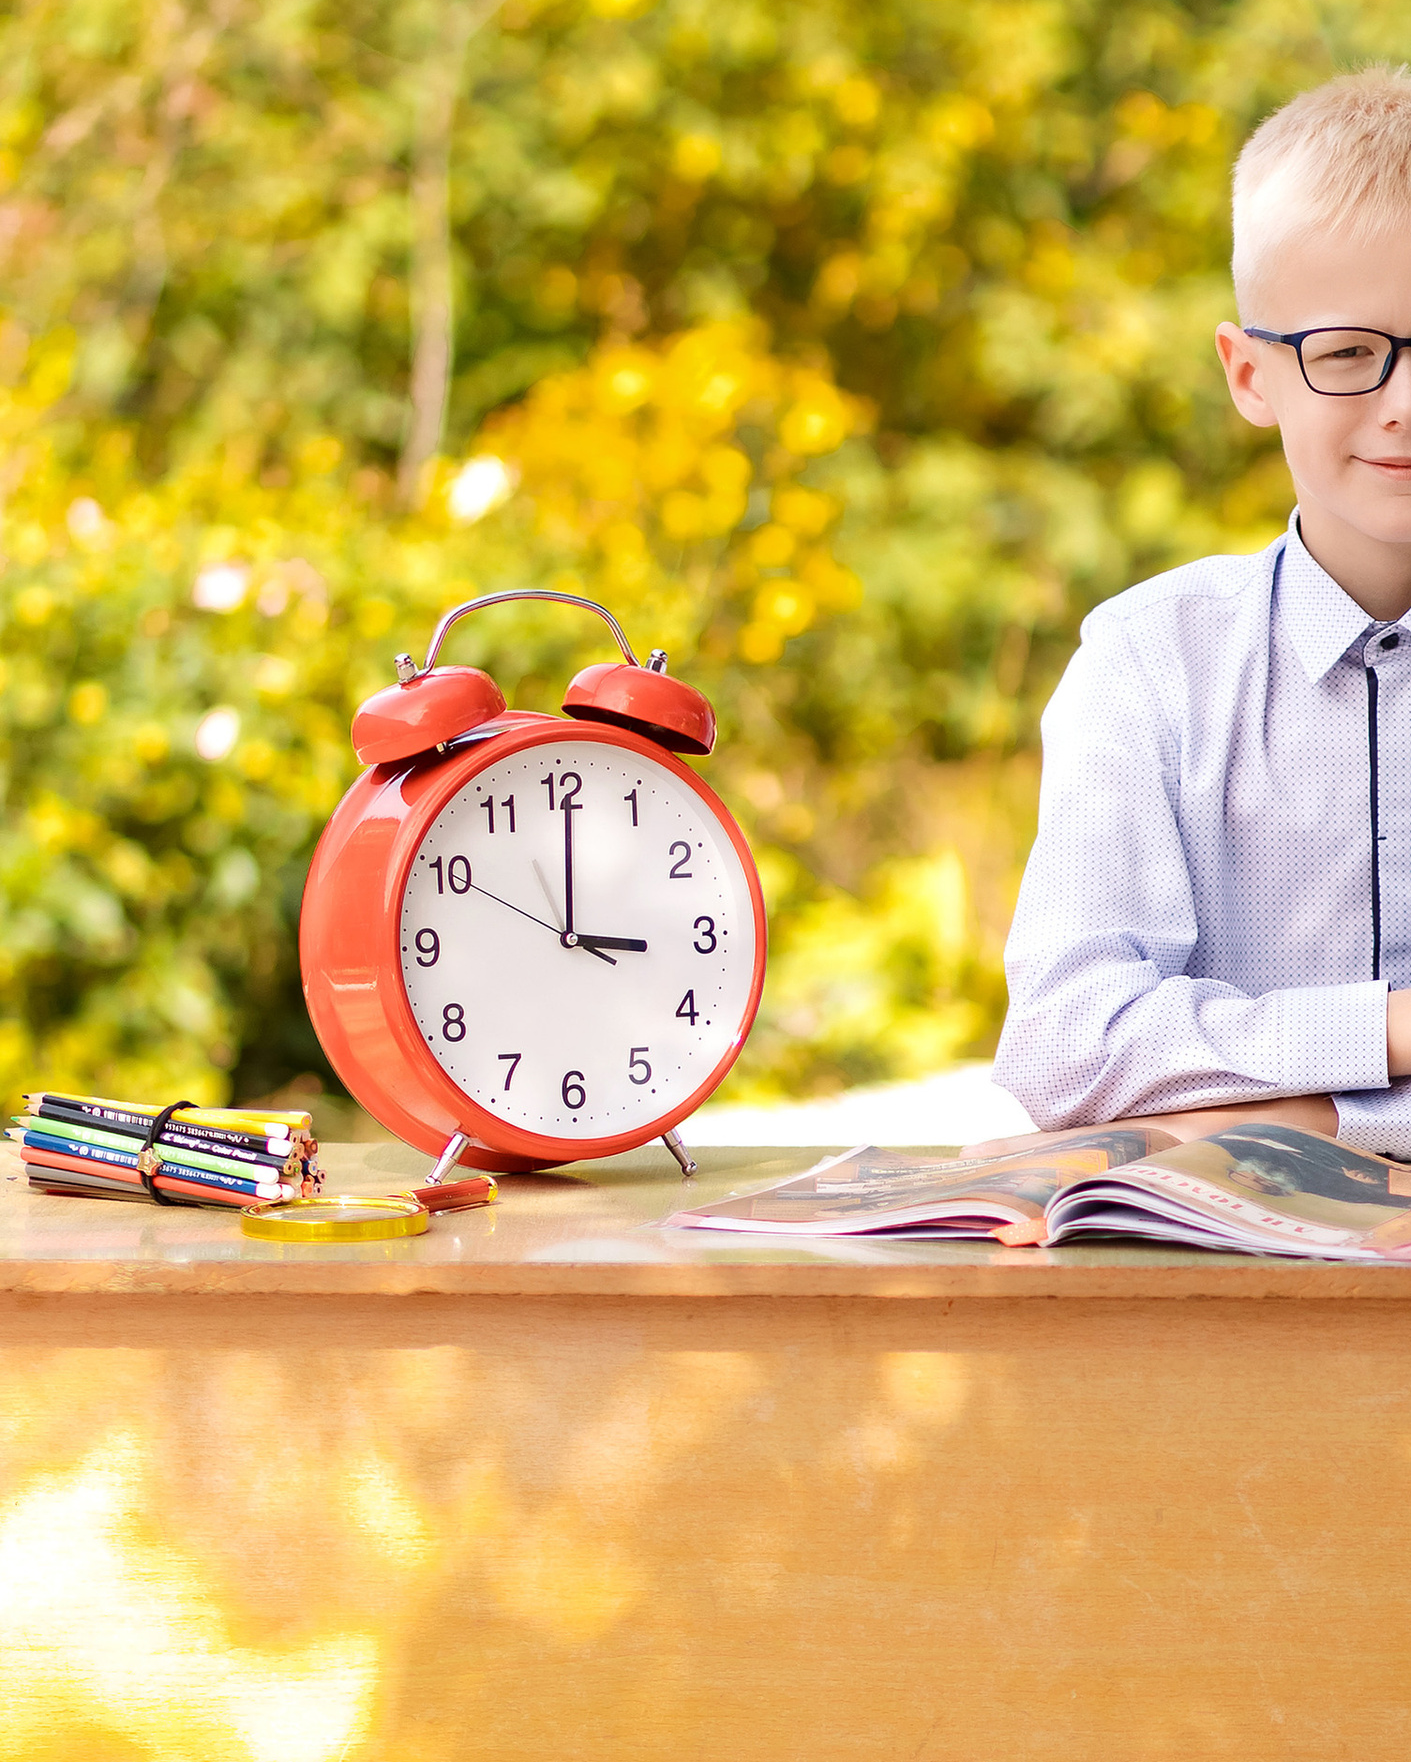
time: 3:00
